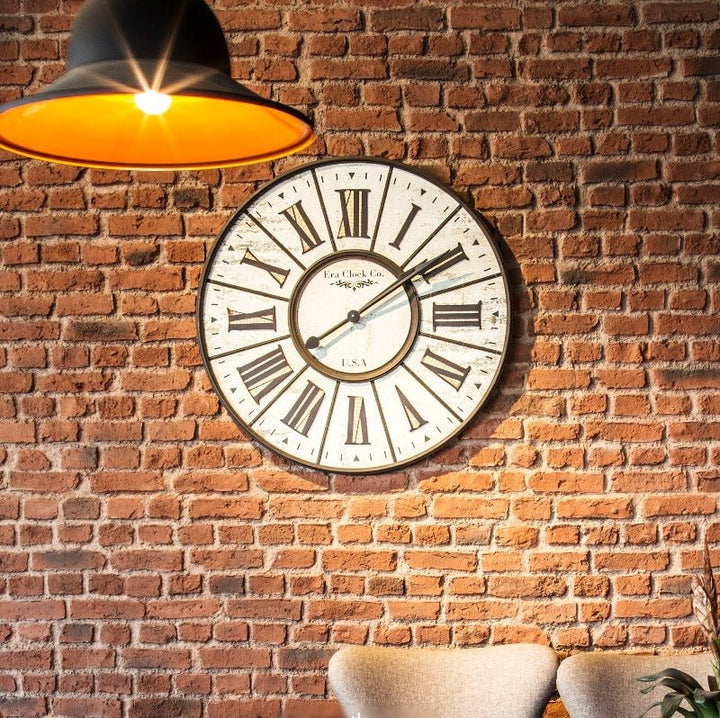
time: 8:09
